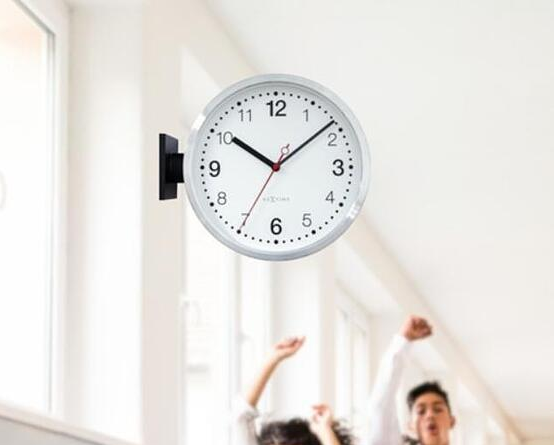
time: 10:08
